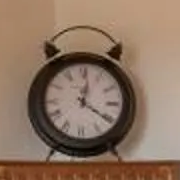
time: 12:20
